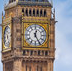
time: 12:25
